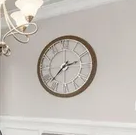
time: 2:37
